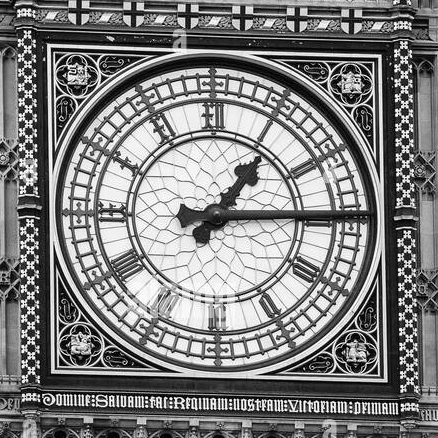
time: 1:14
